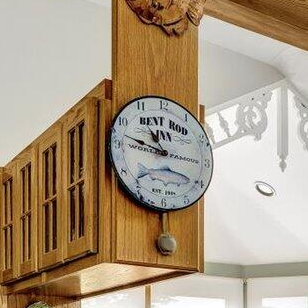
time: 10:47
